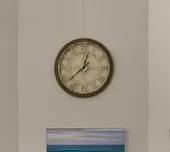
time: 12:38
